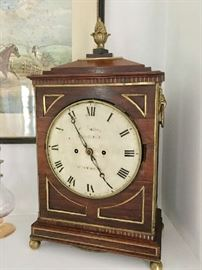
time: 4:54
